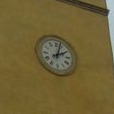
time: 2:02
